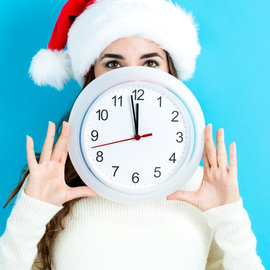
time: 11:58
